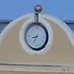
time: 8:35
